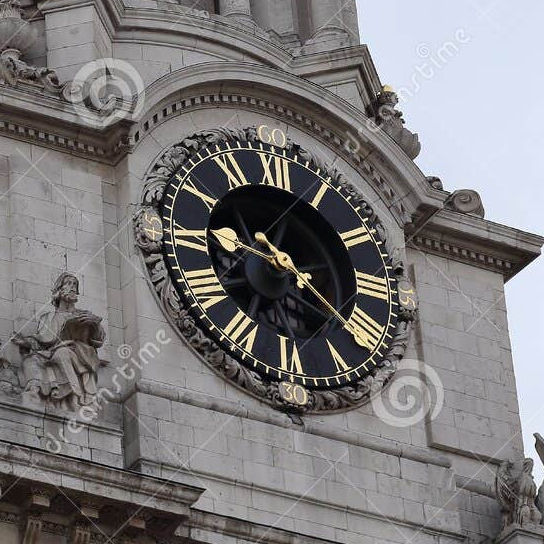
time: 9:21
